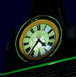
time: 4:36
